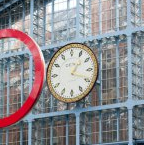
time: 1:18
